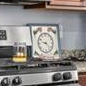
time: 9:22
